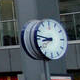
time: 8:46
